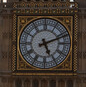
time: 5:11
